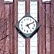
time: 5:11
